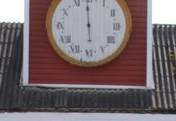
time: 5:59
